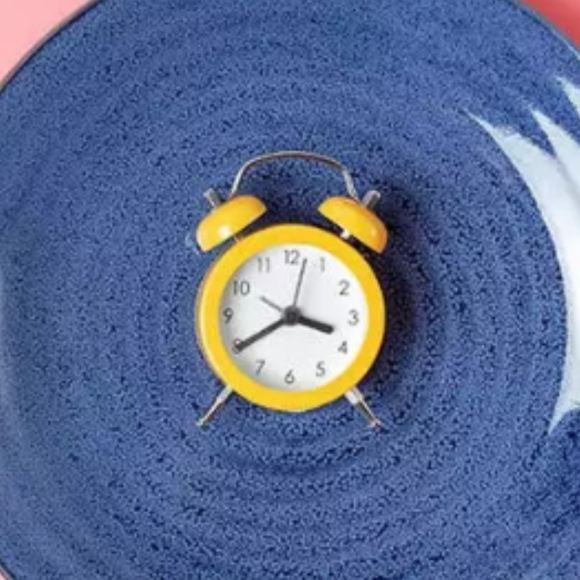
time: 3:39
